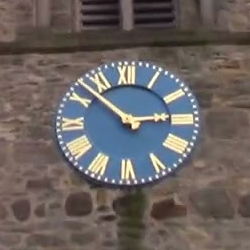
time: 2:52
